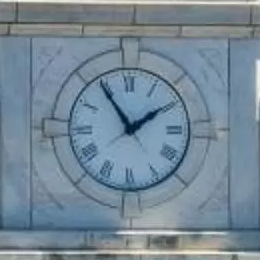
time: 1:54
